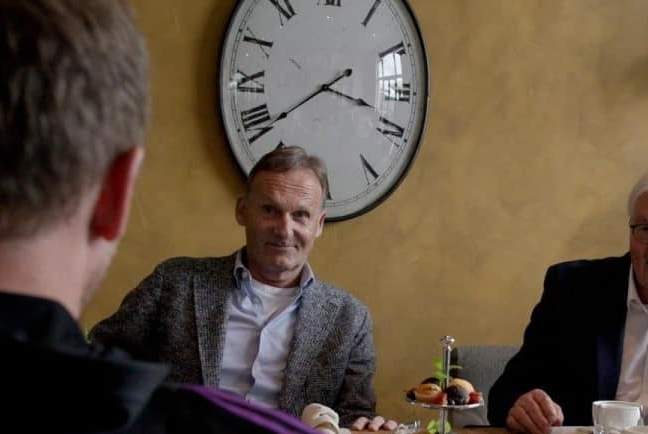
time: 3:39
